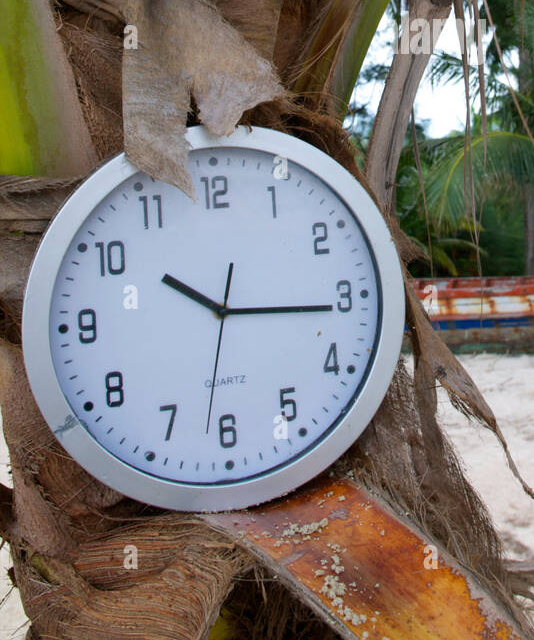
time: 10:15
